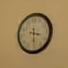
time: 3:29
